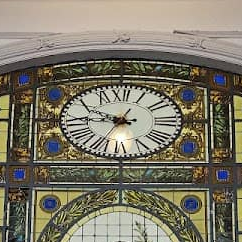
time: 9:45
